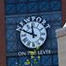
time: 11:48
